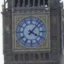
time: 4:07
